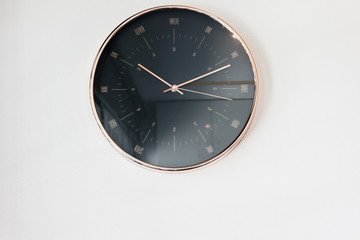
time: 10:11
